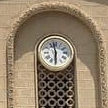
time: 5:58
